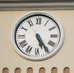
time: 5:24
